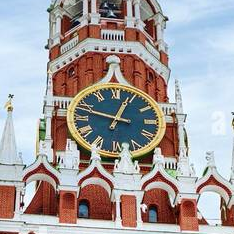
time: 12:47
